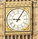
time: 9:05
